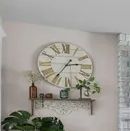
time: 2:36
